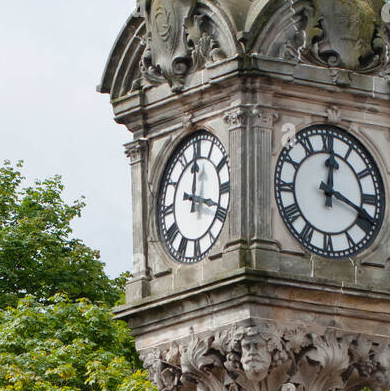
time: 12:18
